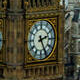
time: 2:25
